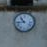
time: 10:43
